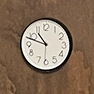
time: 10:48
